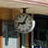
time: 9:05
